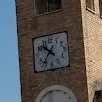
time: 10:36
